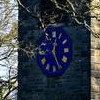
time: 12:25
